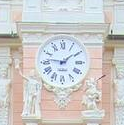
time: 1:46
